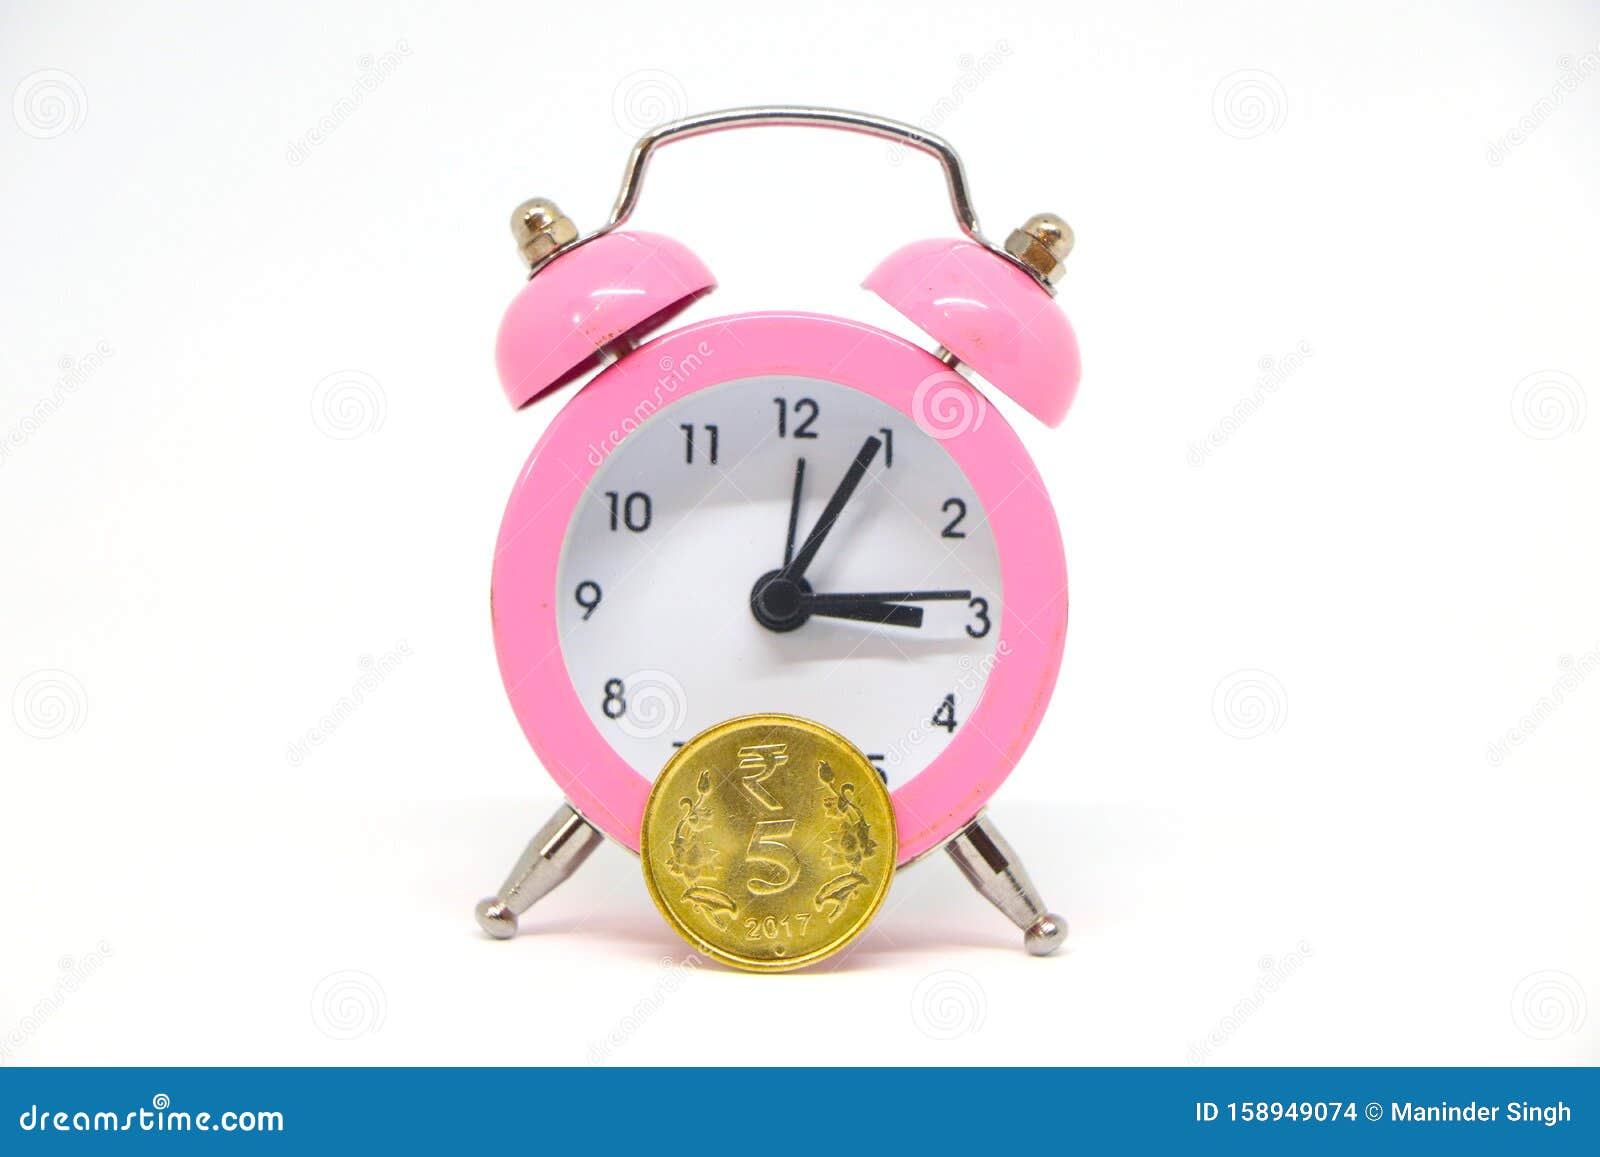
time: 3:04
